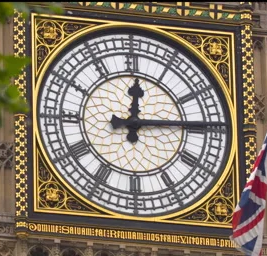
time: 12:14
